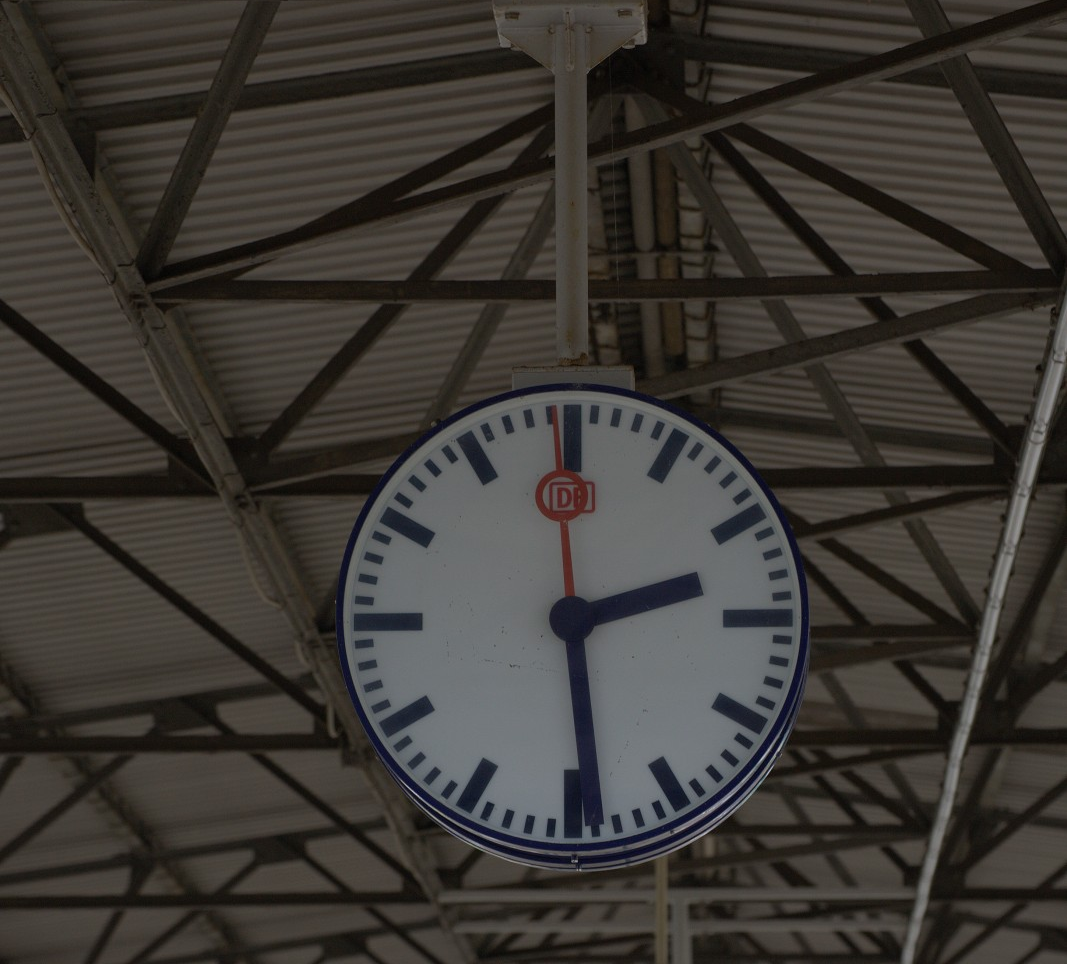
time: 2:29
